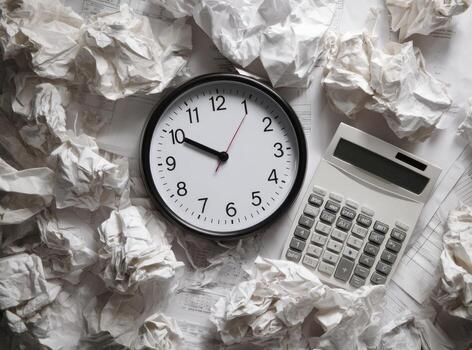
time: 9:50
